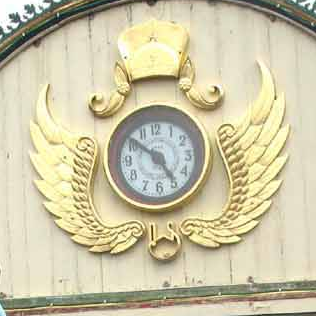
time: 4:51
